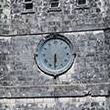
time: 5:30
